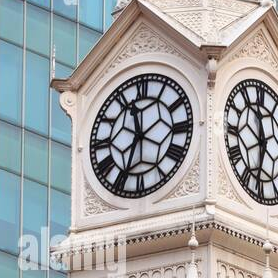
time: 11:33
